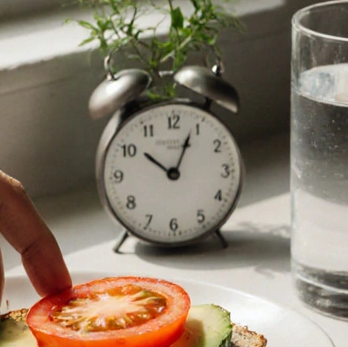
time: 10:03
